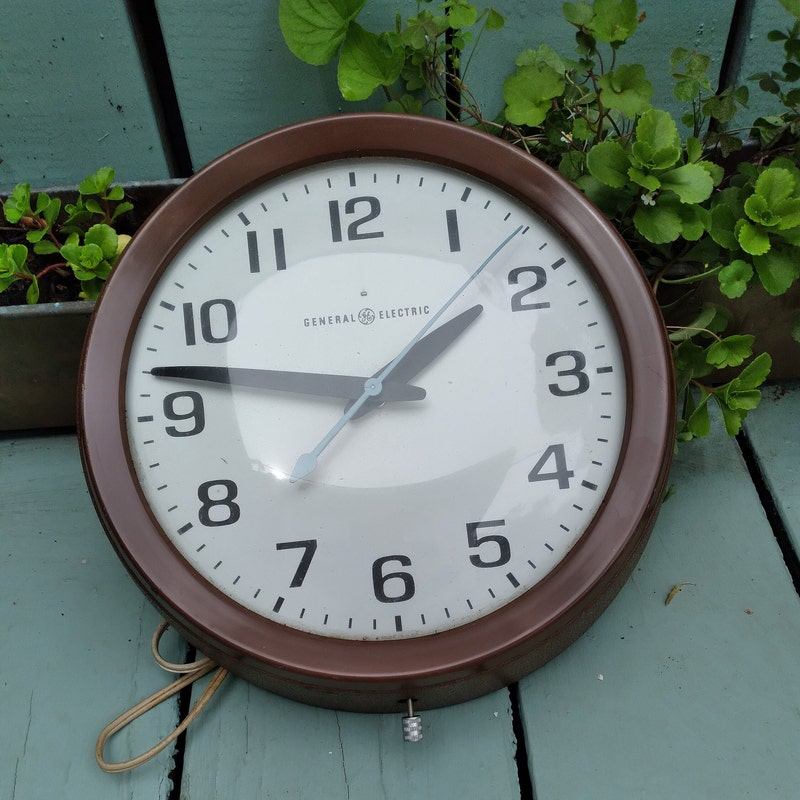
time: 1:46
